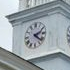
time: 2:21
